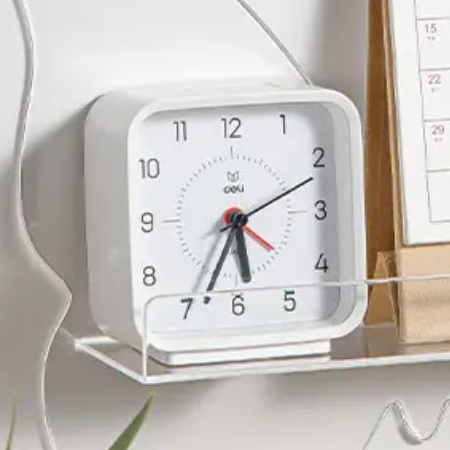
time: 5:34
